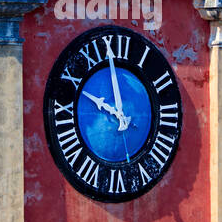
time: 9:58
